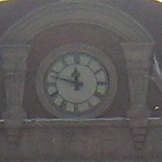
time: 11:47
